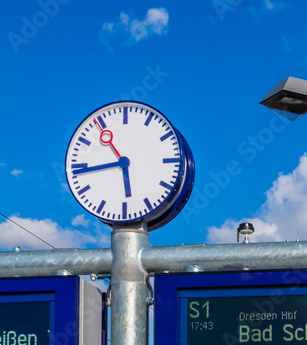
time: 5:43
